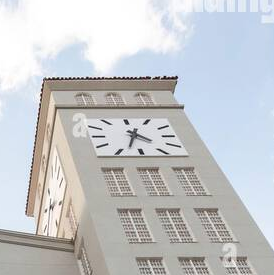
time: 4:33
